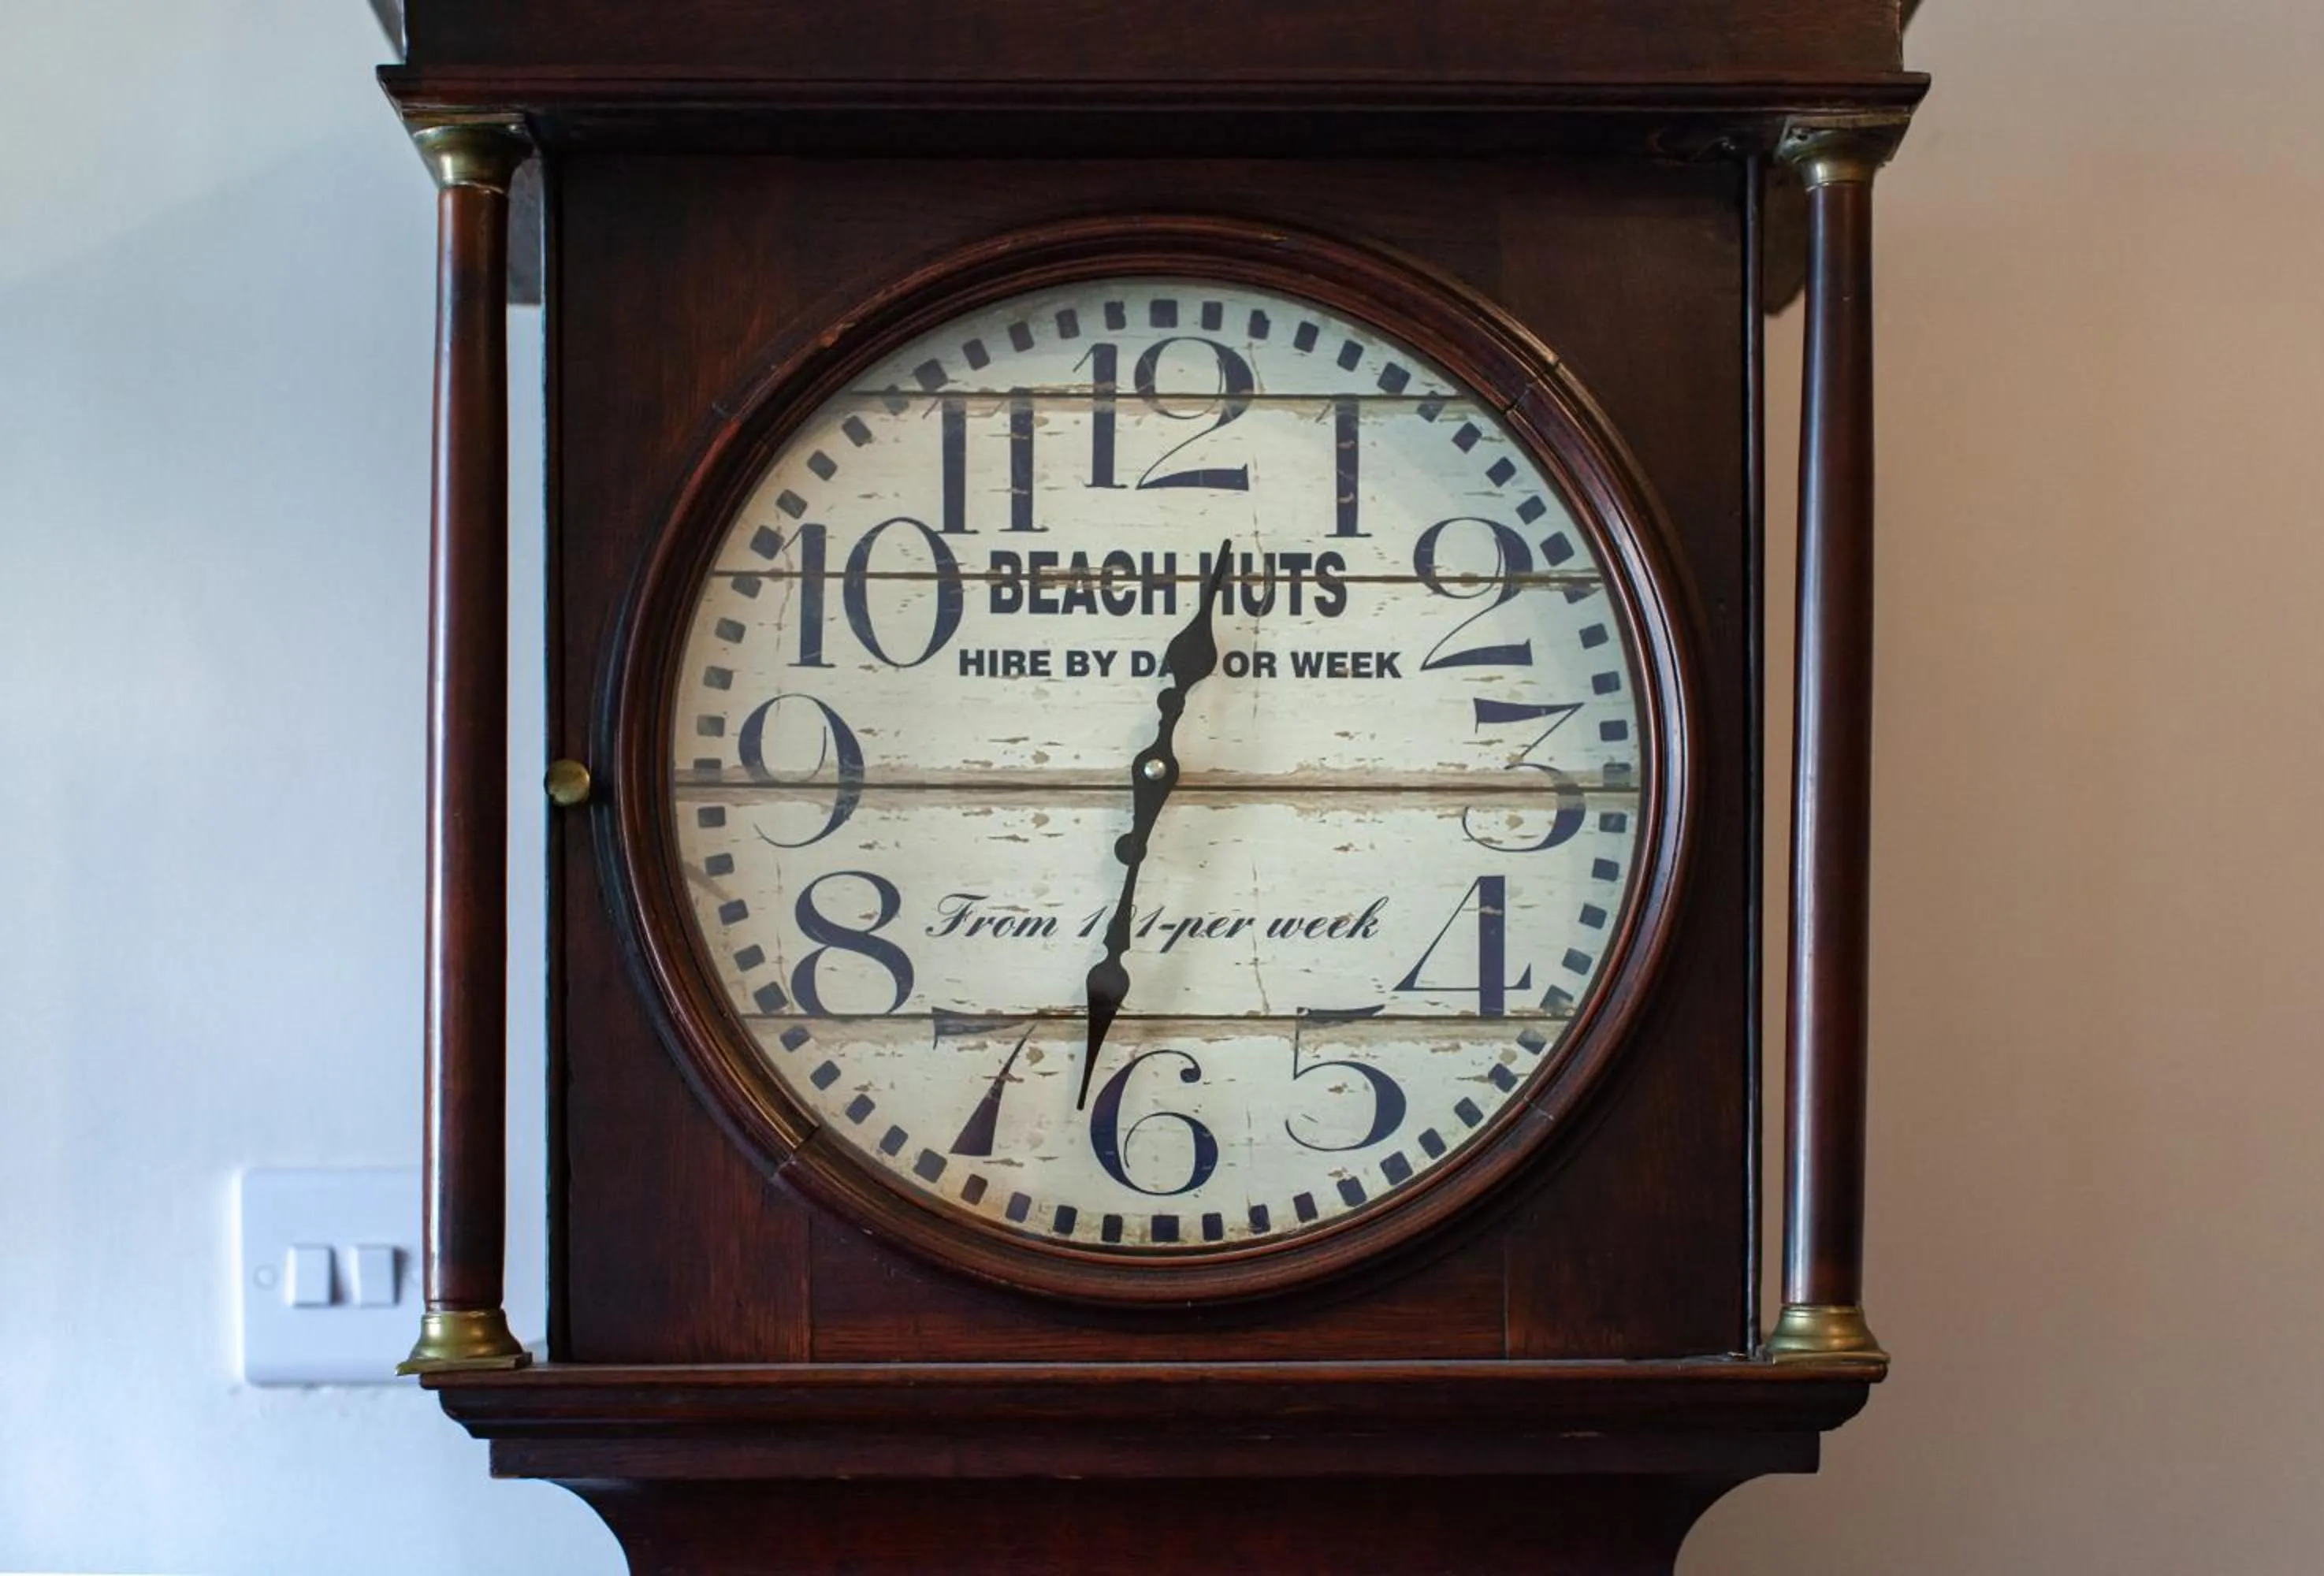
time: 12:32
